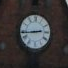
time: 2:43
